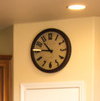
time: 10:45
